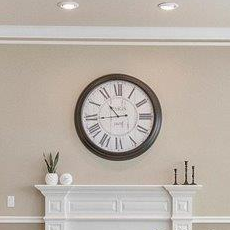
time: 10:43
